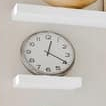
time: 12:19
